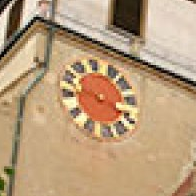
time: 3:47
